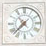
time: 7:37
